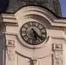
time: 5:21
